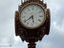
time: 5:38
